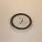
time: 12:35
